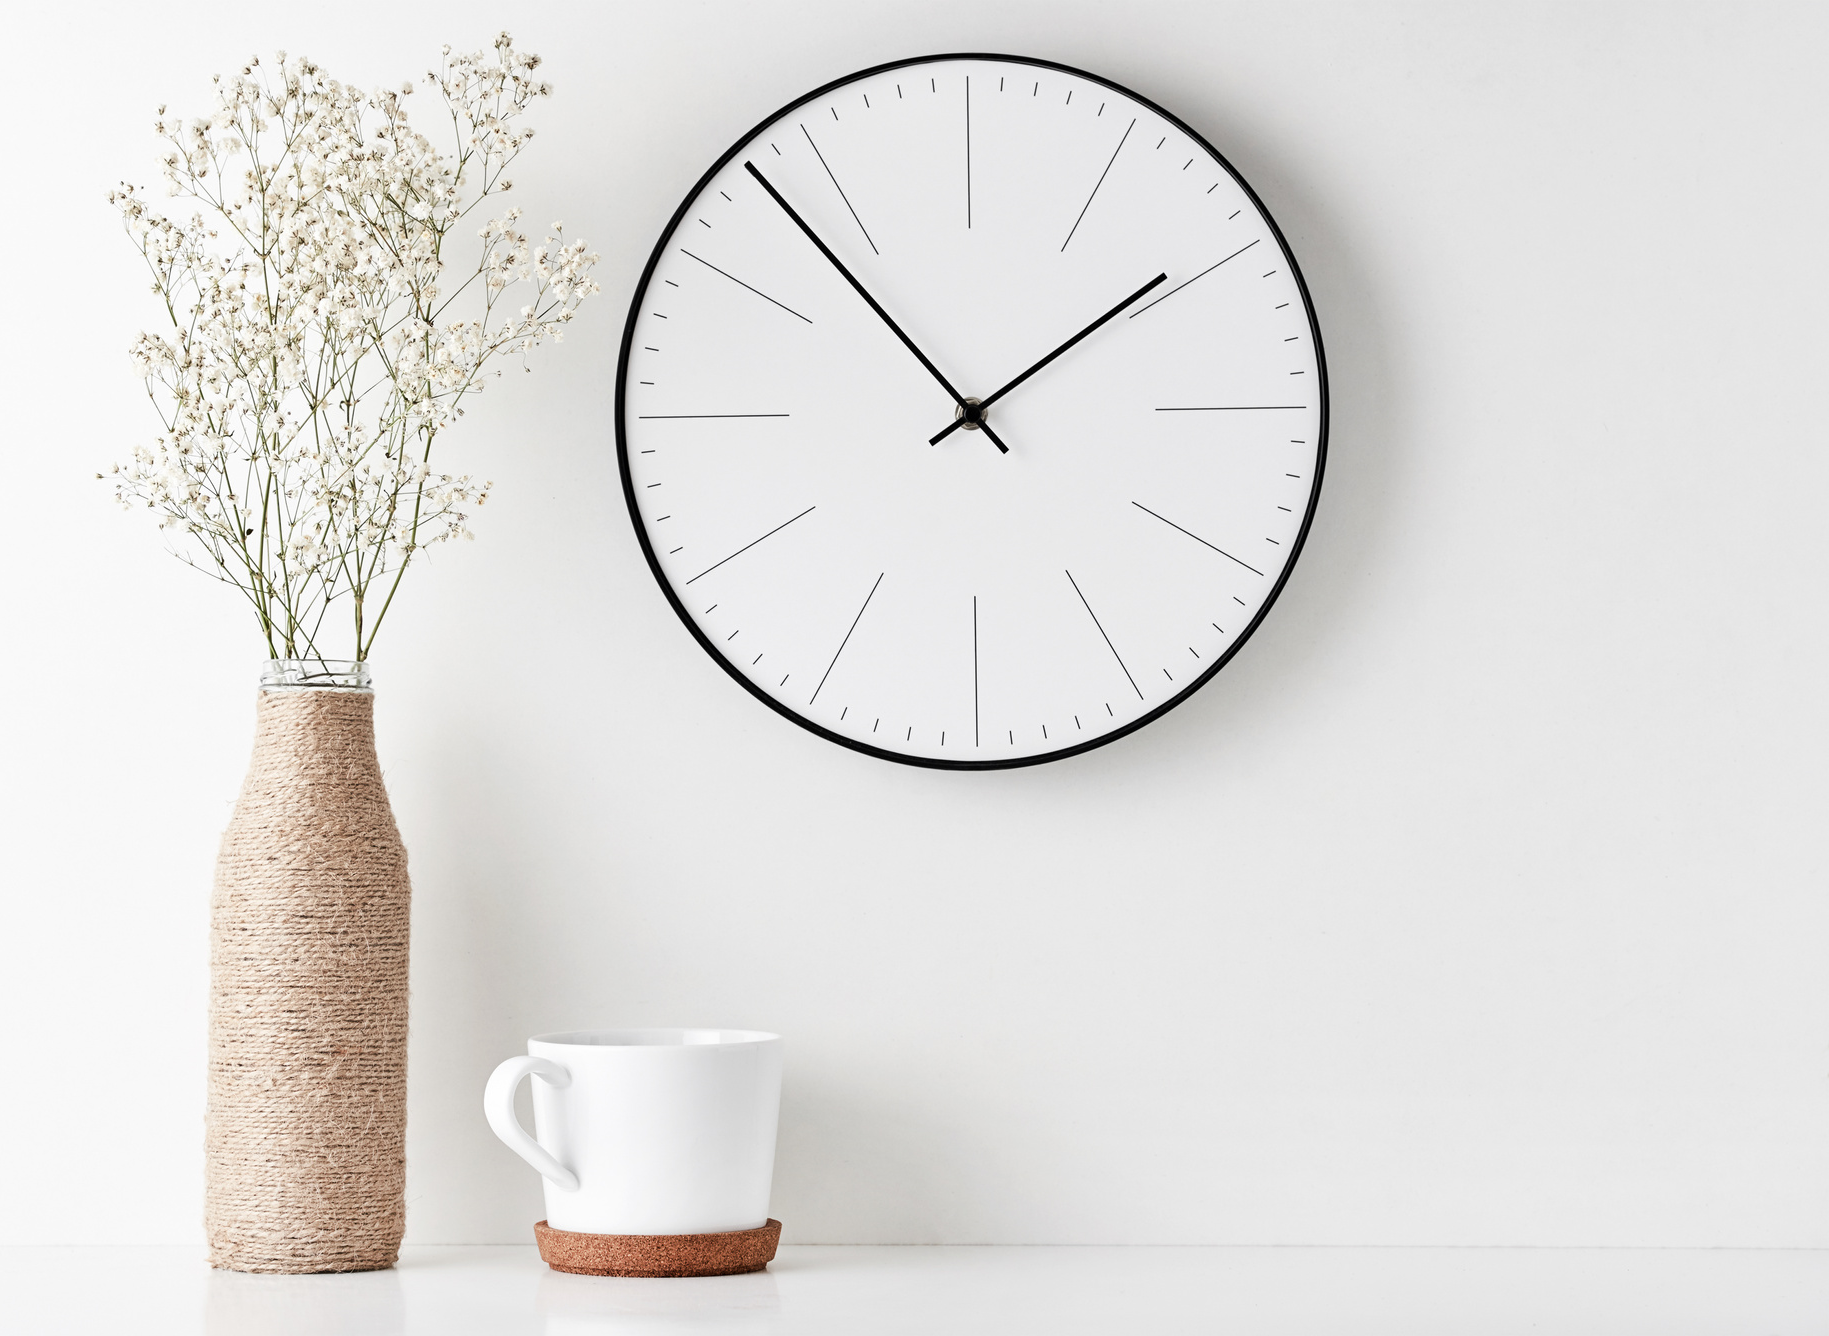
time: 1:53
